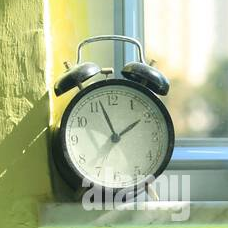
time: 1:56
